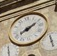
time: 8:11
